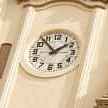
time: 1:52
